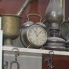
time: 11:07
